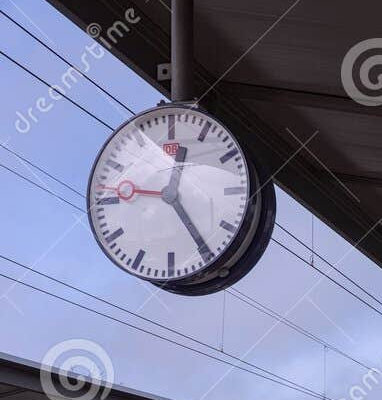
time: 12:24
